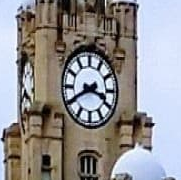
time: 3:40
